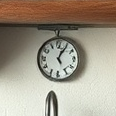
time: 5:05
